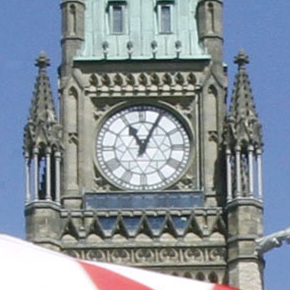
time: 11:04
